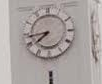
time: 7:43
